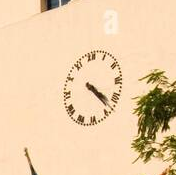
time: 4:23
